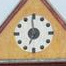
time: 6:58
